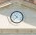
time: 10:37
